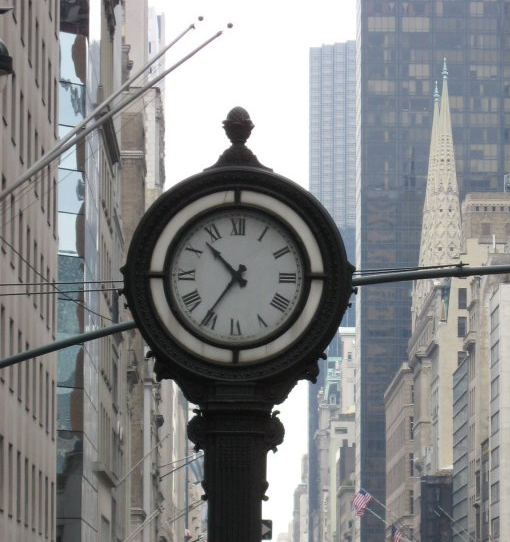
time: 10:35
